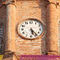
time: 5:23
